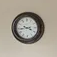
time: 3:43
